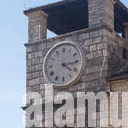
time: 4:15
